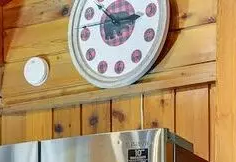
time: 2:53
